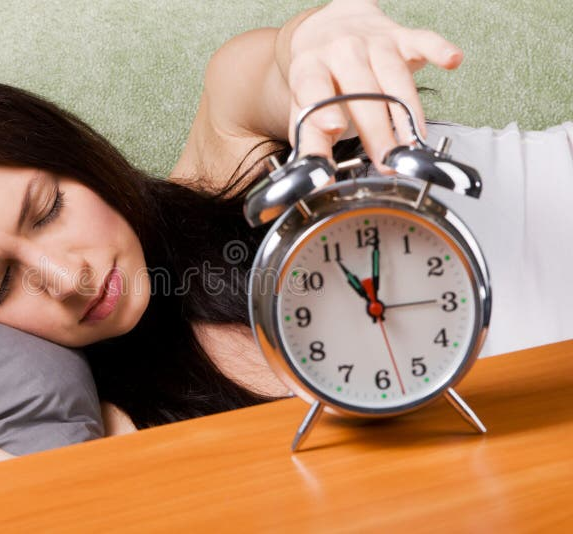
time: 11:01
